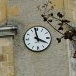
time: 3:58
